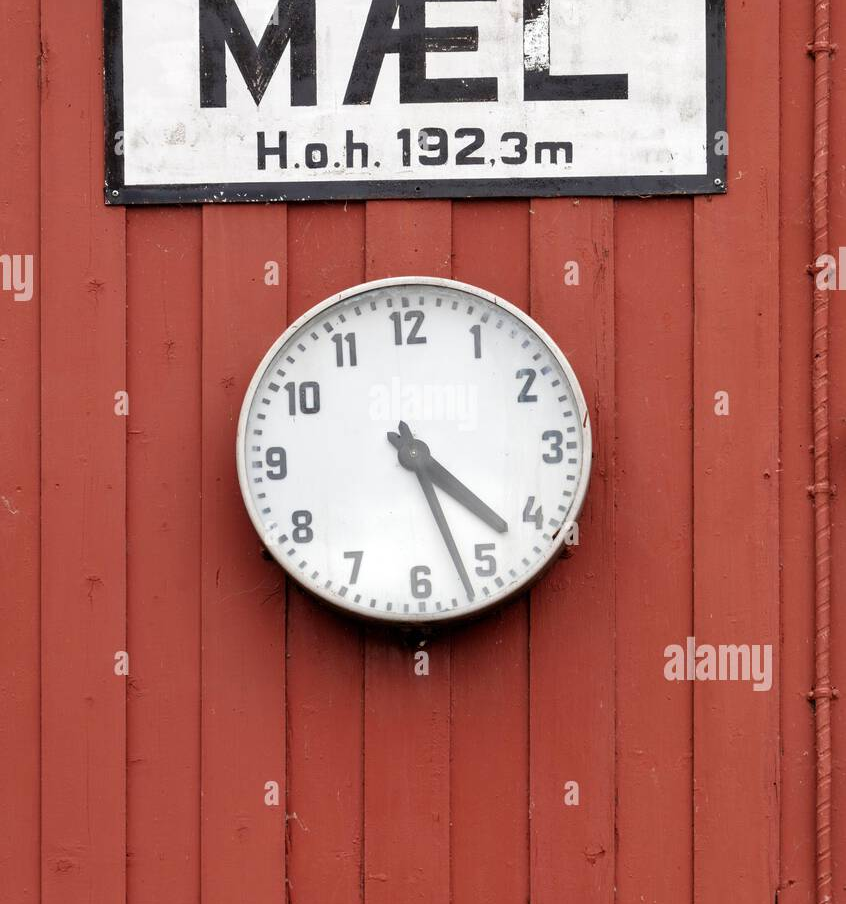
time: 4:26
